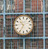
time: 10:34
